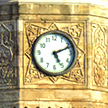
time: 5:11
